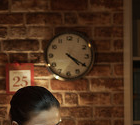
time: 4:20
